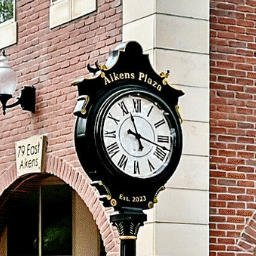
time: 11:17
